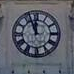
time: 11:56
